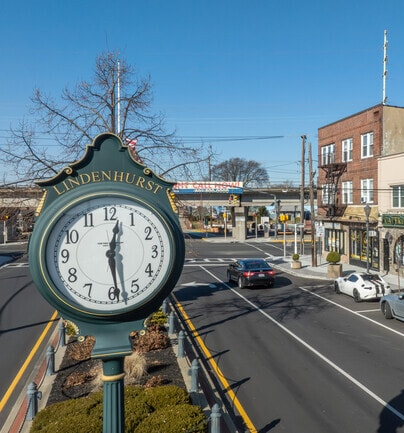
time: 12:28
